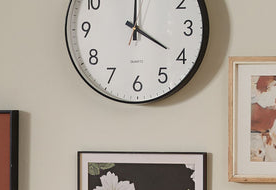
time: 4:00
